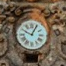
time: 10:04
